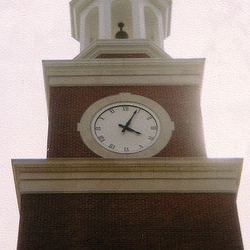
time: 4:04
